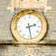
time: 2:27
